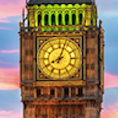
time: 8:03
